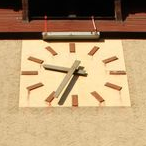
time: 9:33
